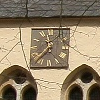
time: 11:37
